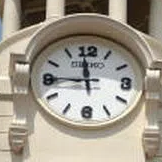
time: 11:44
